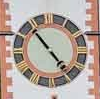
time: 4:54
